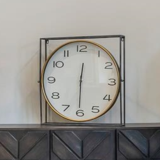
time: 12:30
